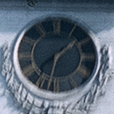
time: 1:32
